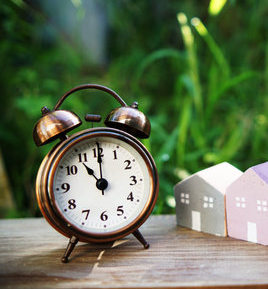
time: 11:00
